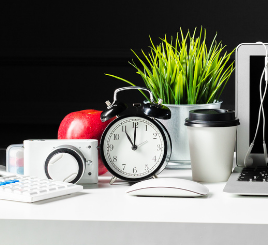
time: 11:00
